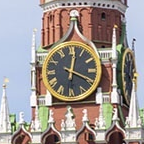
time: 12:19
